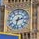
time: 2:32
